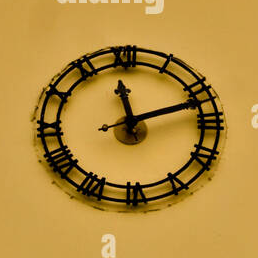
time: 11:12
